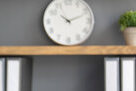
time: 10:11
